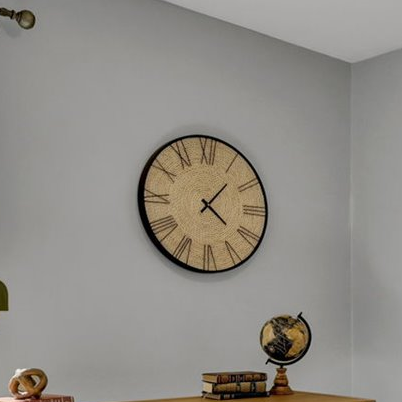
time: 1:21
